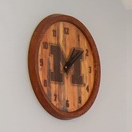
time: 1:08
